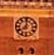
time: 8:01
